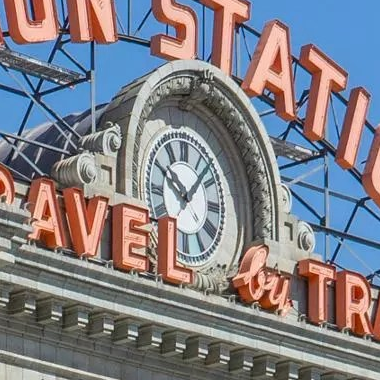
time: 10:07
